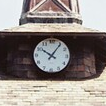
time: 10:05
